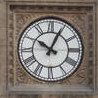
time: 10:04
